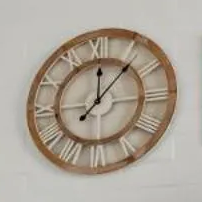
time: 12:06
